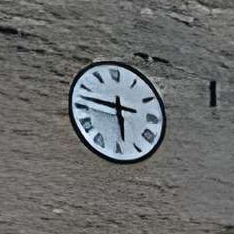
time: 5:46
